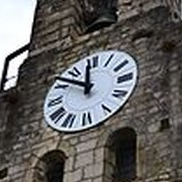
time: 11:51
